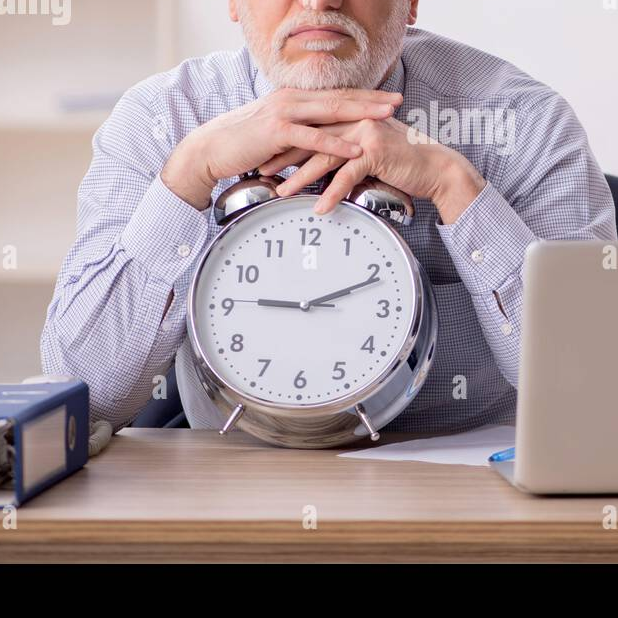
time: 9:11
